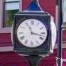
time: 11:17
